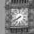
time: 7:40
